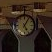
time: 5:05
